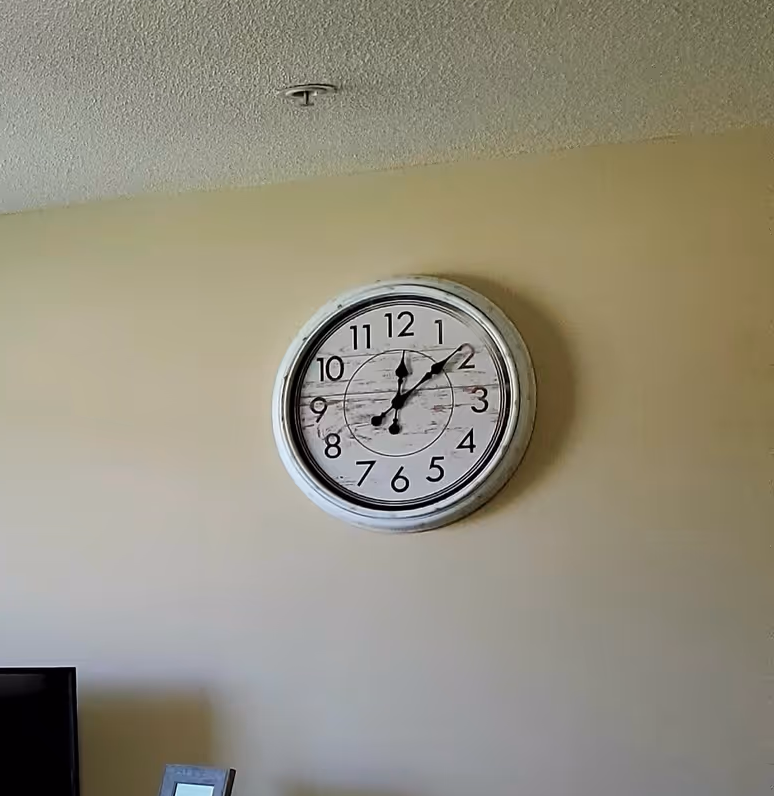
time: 12:08
